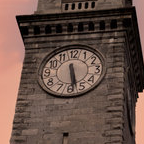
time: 5:28
